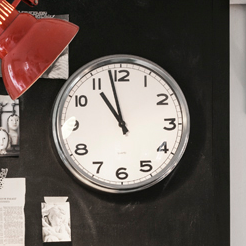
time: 10:57
